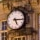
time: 5:15
